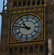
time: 10:47
